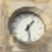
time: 1:28
